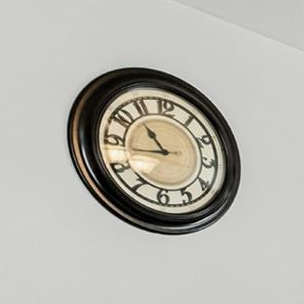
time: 10:43
